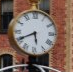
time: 5:40
